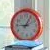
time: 9:05
